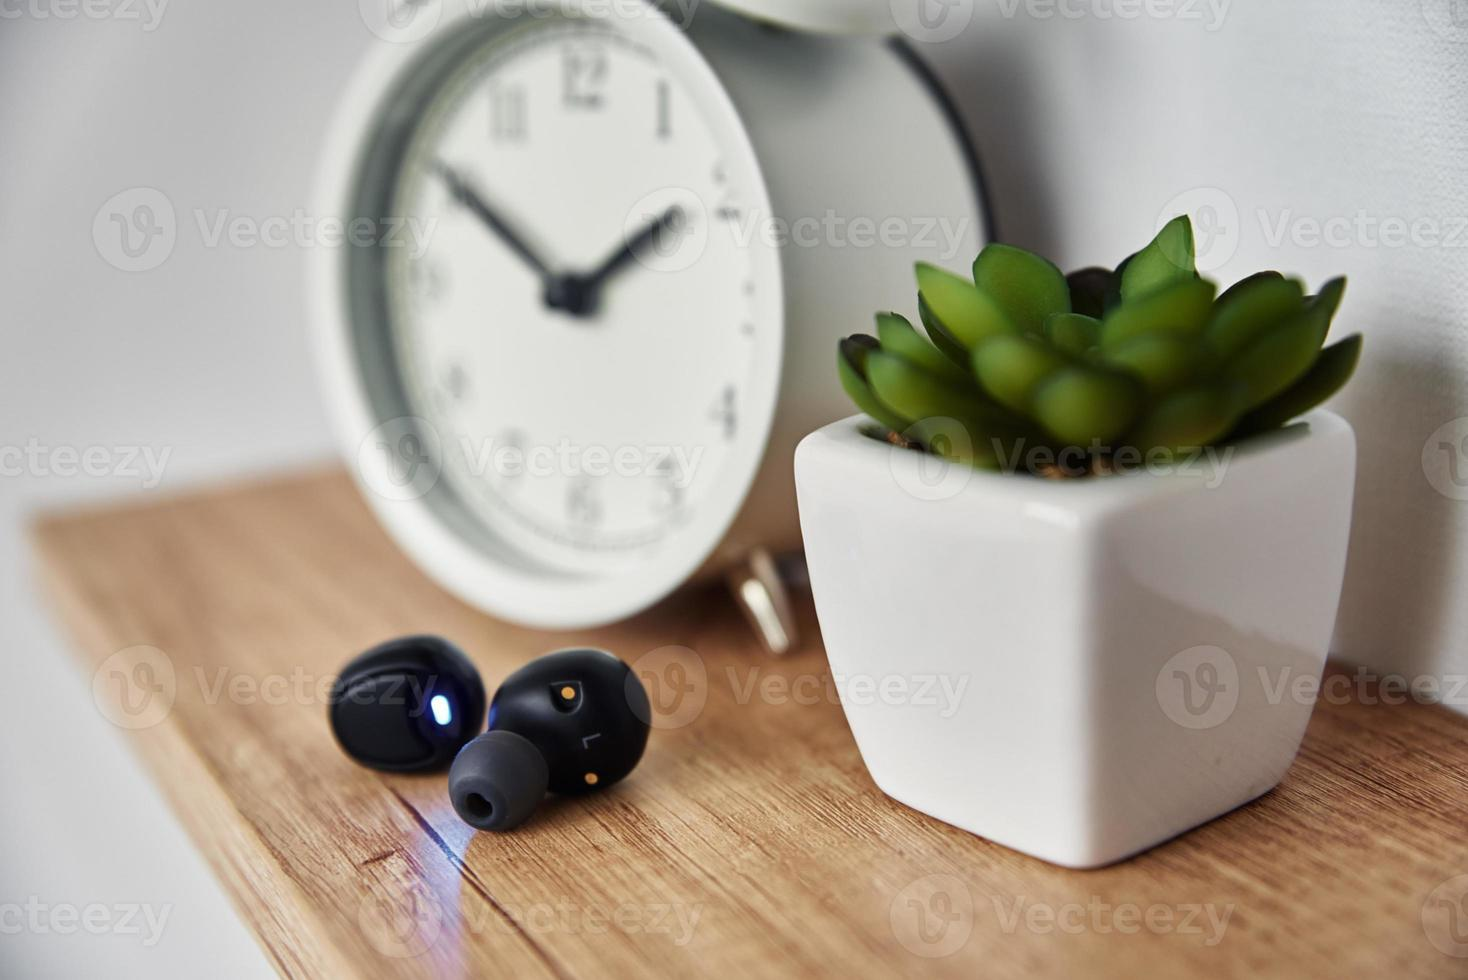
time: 1:50
